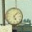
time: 5:07
